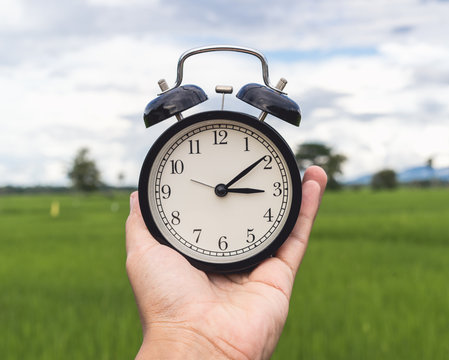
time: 3:09
